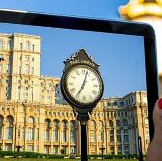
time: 7:03
